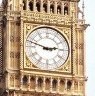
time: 2:48
